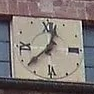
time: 12:37
